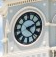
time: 2:22
